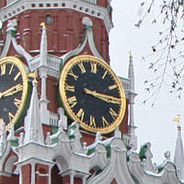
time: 3:14
